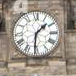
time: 1:31
